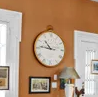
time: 10:45
